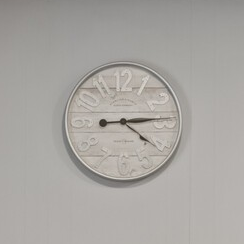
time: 4:14
